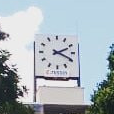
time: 2:19
